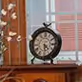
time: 4:29
